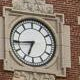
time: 6:44
